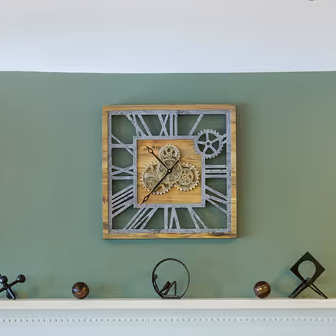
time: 10:37
